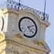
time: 4:10
